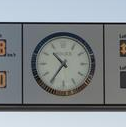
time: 10:35
